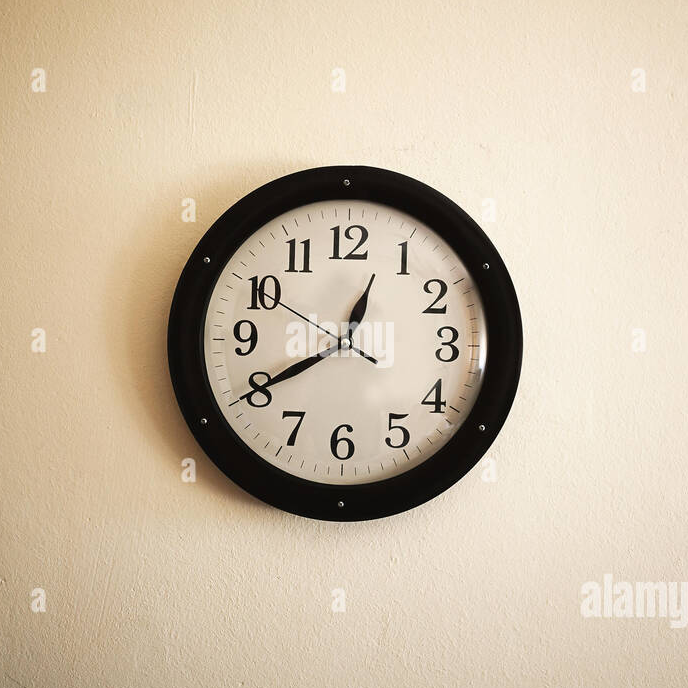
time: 12:40
